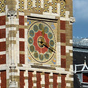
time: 12:19
